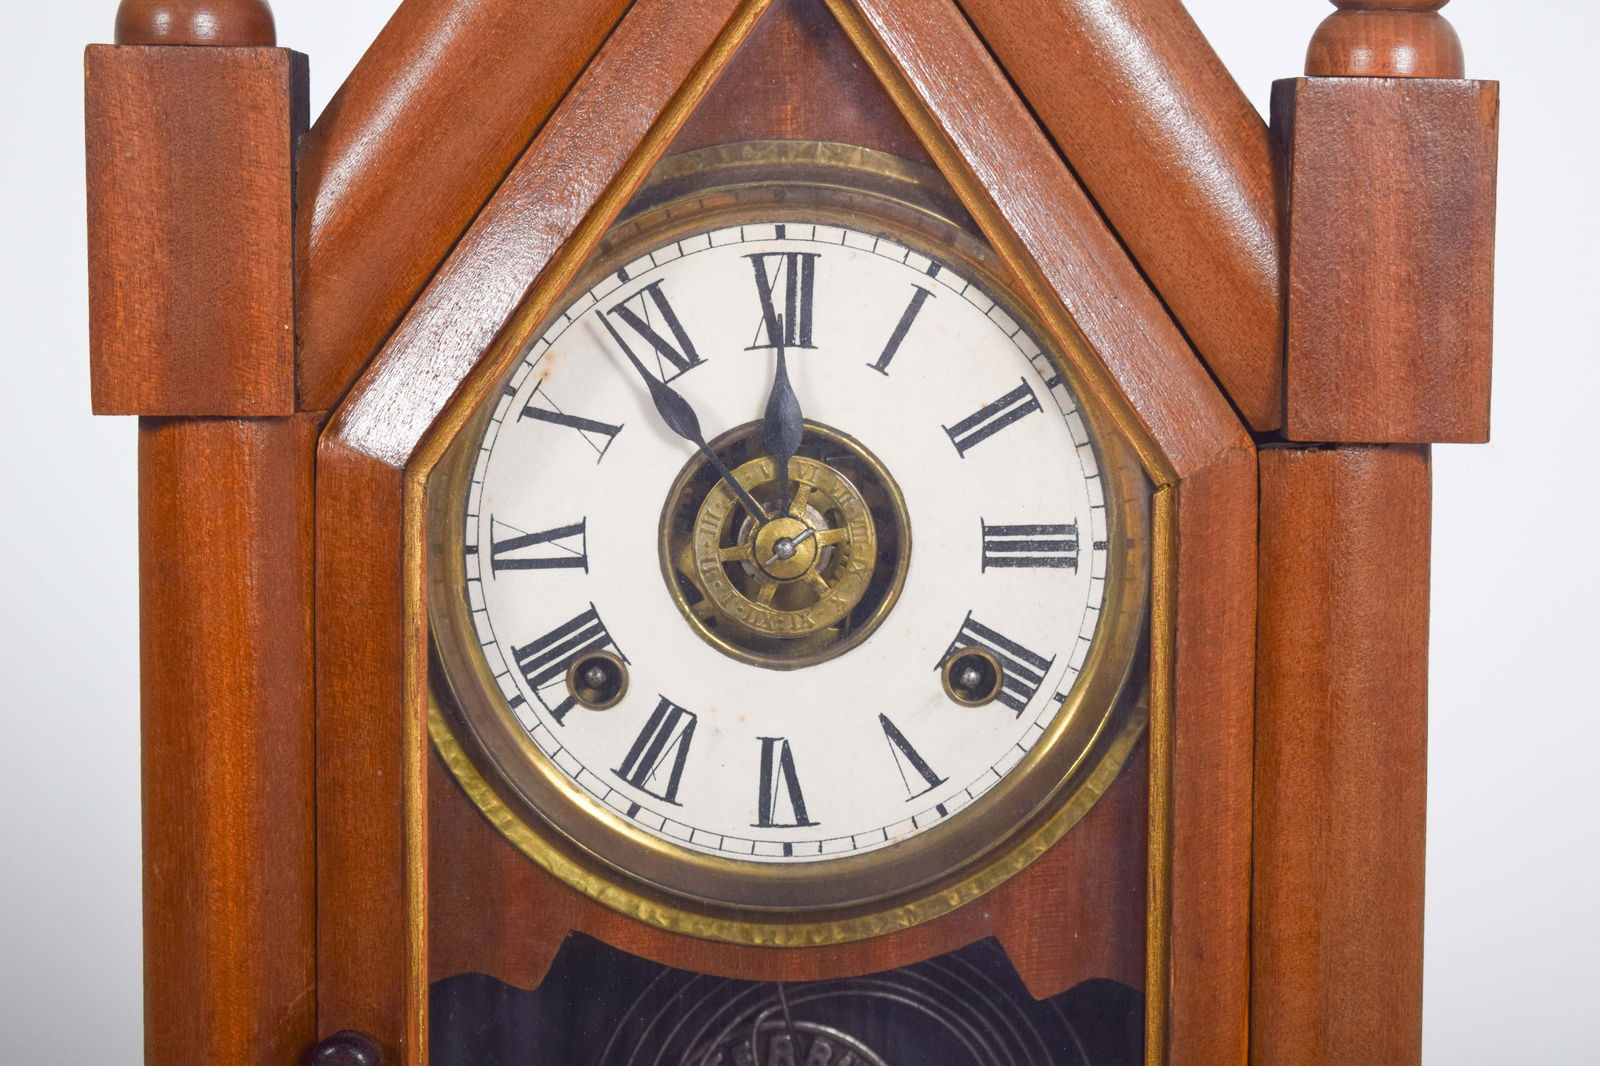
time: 11:53
